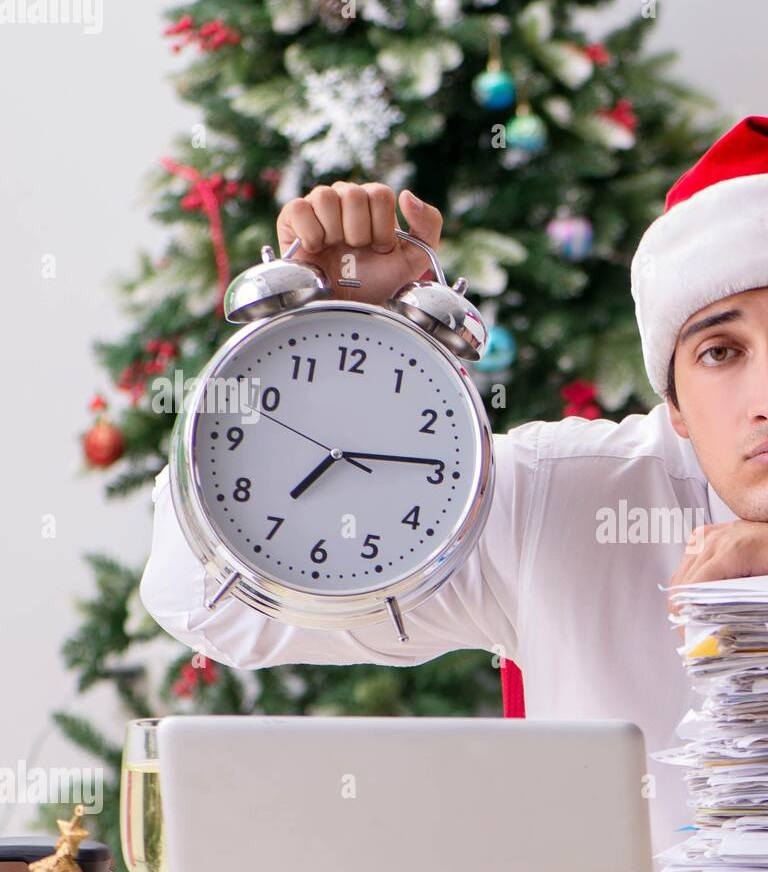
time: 7:14
